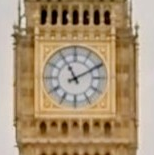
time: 11:10
